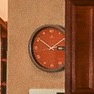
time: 2:50
